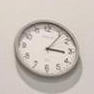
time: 3:06
